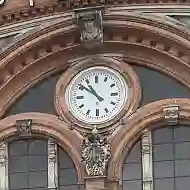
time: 10:51
